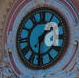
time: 1:31
